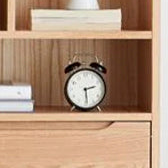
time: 2:29
